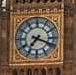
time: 7:18
